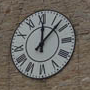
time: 12:07
